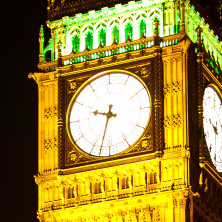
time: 9:32
